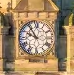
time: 9:53
